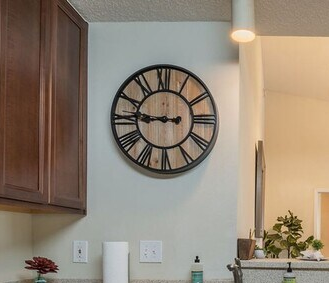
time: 8:46
